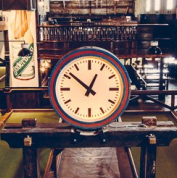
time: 12:51
